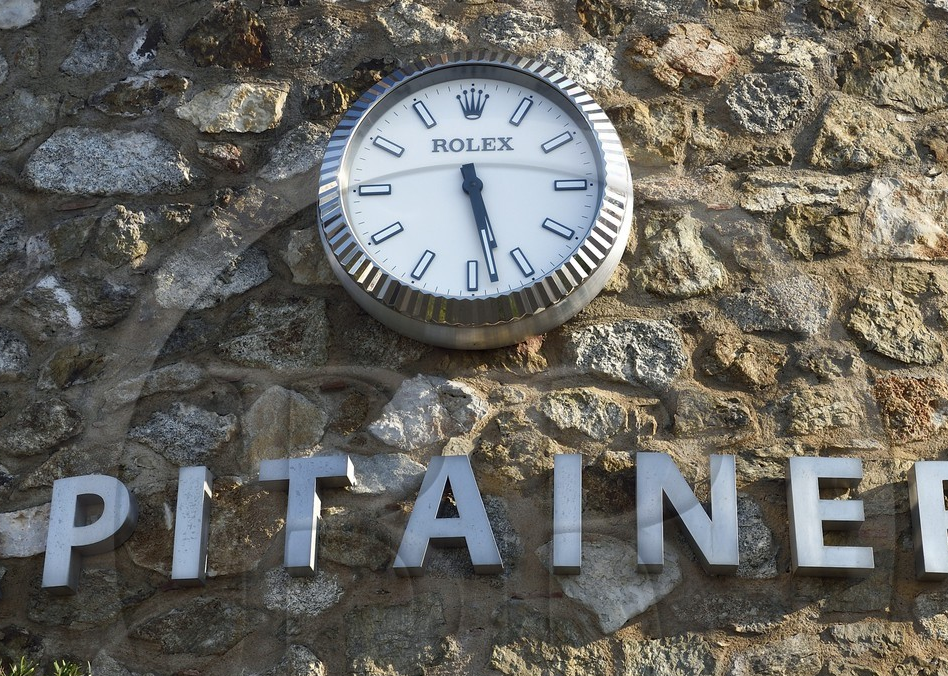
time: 5:28
